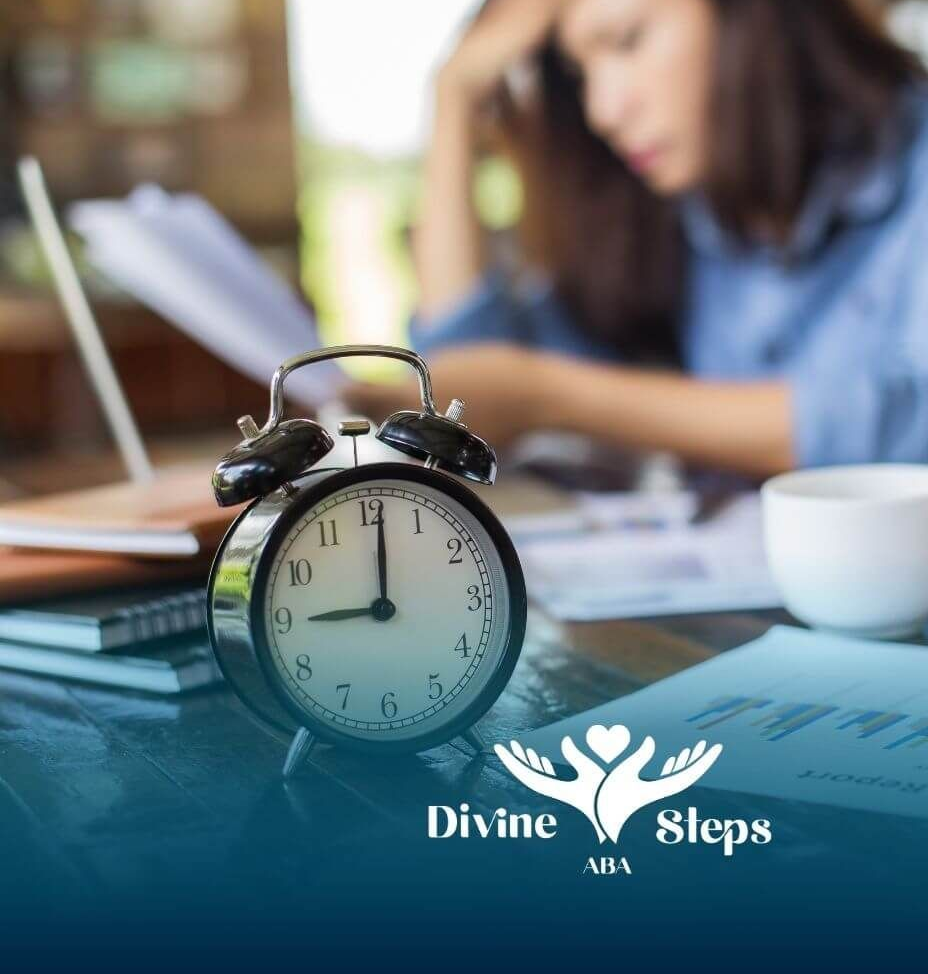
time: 9:01
